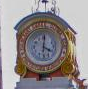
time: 4:01
